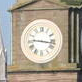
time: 9:16
